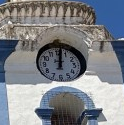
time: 12:01
